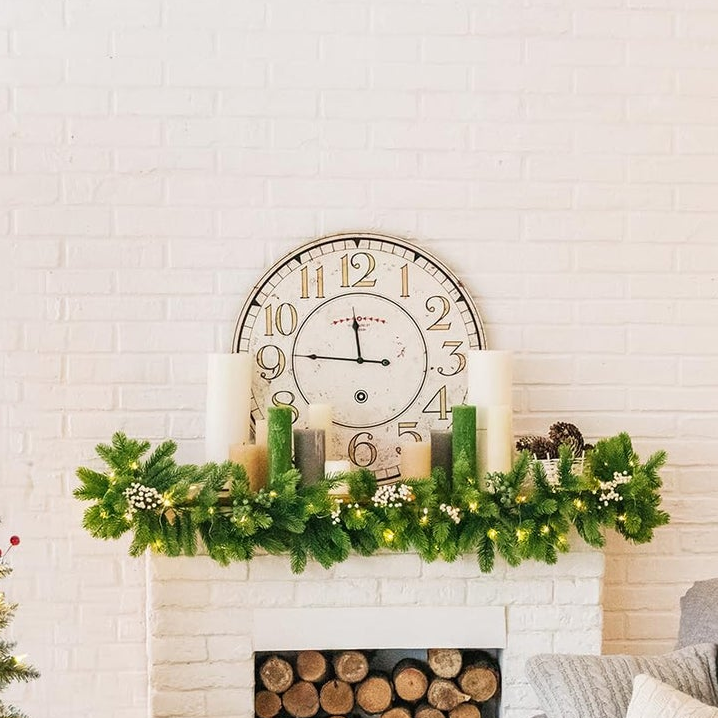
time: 11:46
